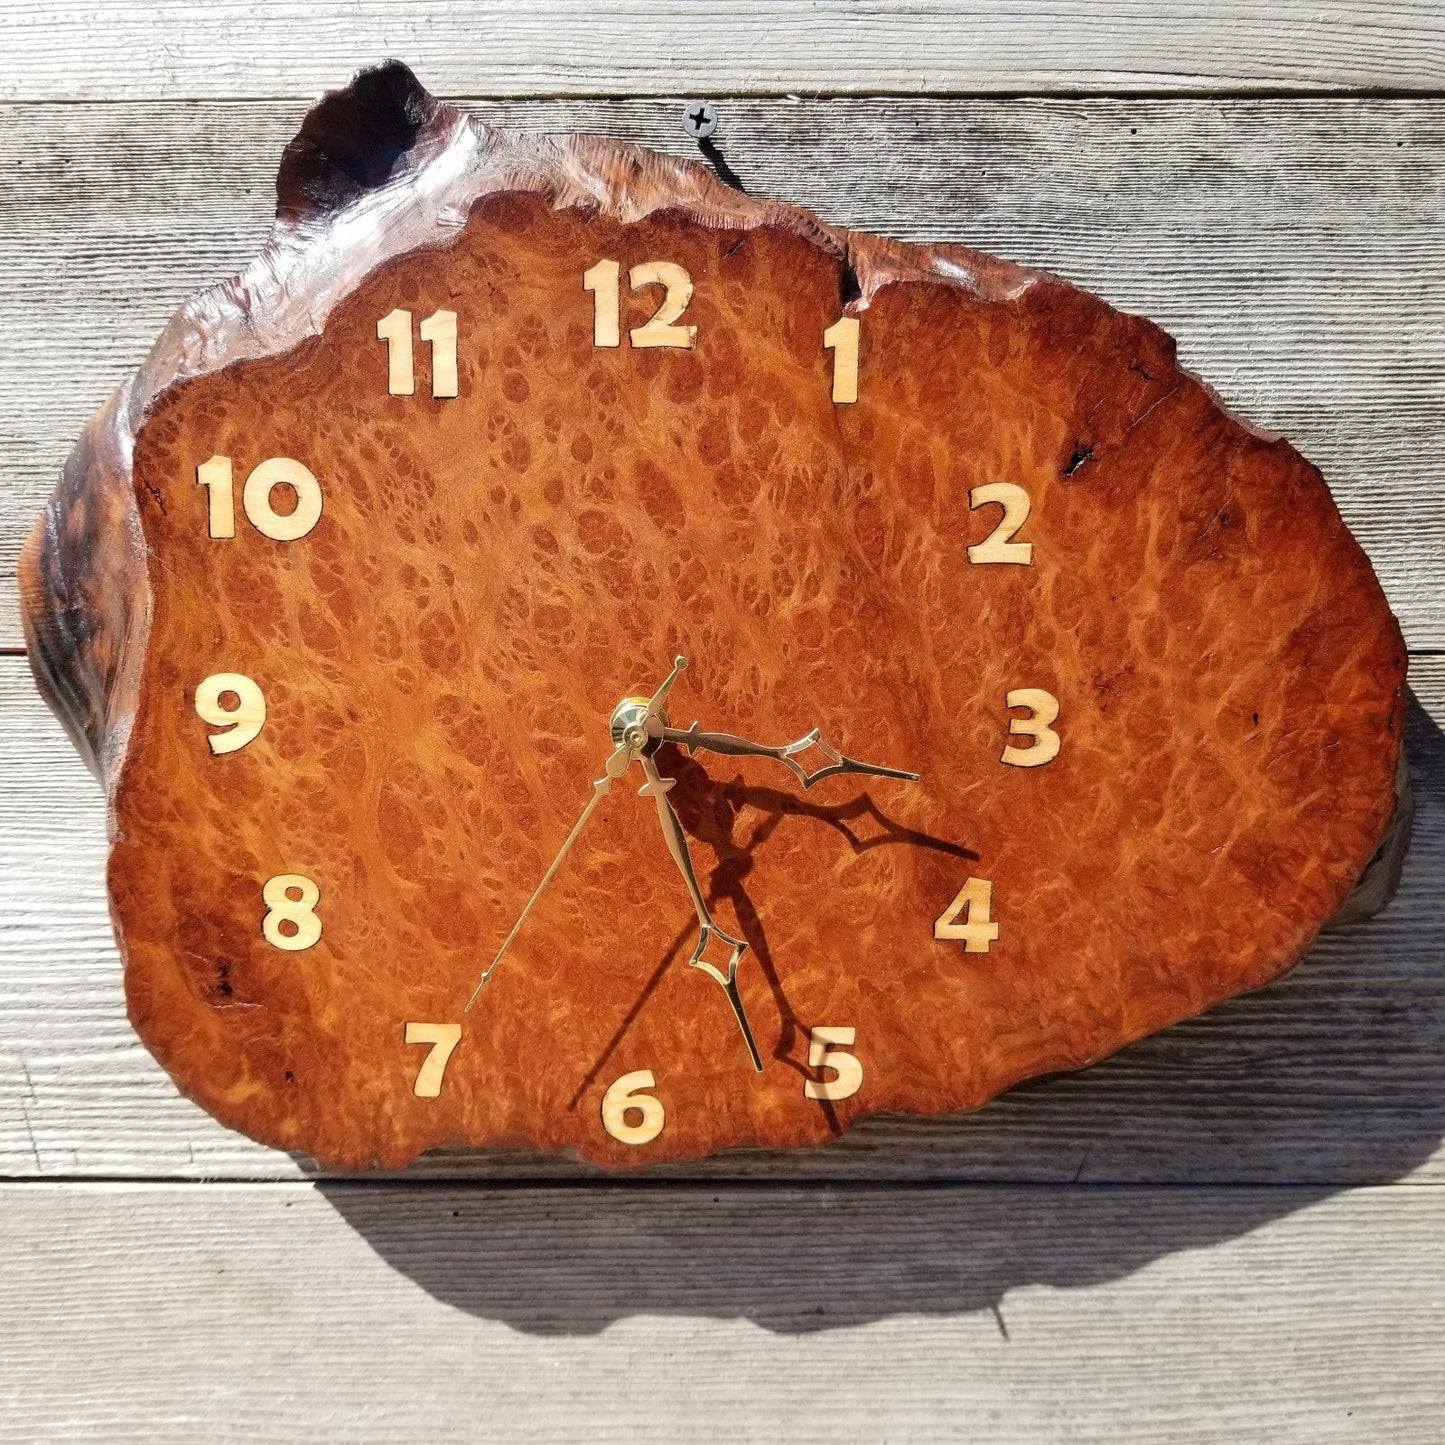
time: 5:18
